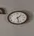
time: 1:28
